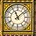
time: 11:08
